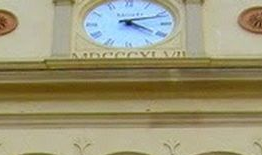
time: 4:12
